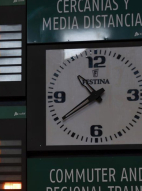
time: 10:39
